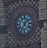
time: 1:35
